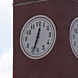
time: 12:33
